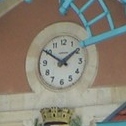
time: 1:50
